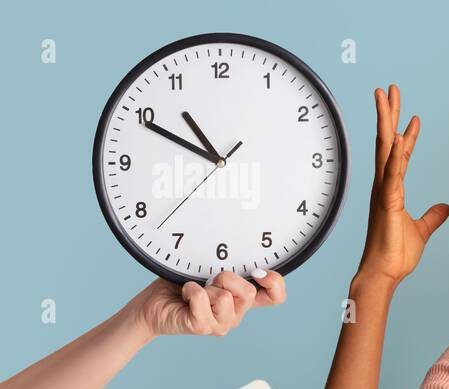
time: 10:49
